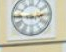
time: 2:45
